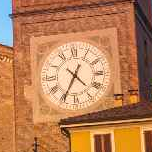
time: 4:34
